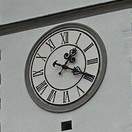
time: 1:19
